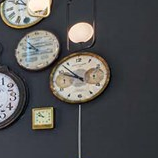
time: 9:53
